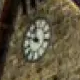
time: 11:50
